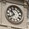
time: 7:52
